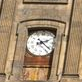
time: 2:21
